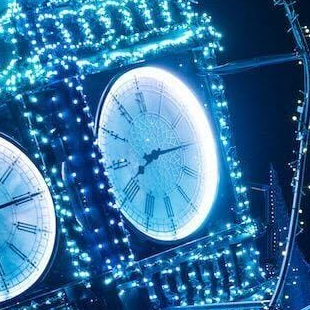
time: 8:14
